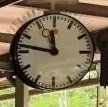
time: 11:46
